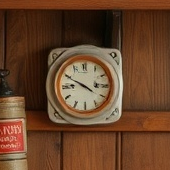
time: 8:49
